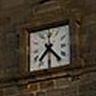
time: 7:23
